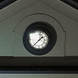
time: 1:37
